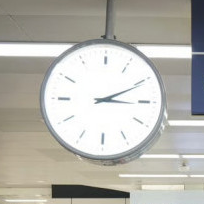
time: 3:10
